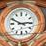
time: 2:49
